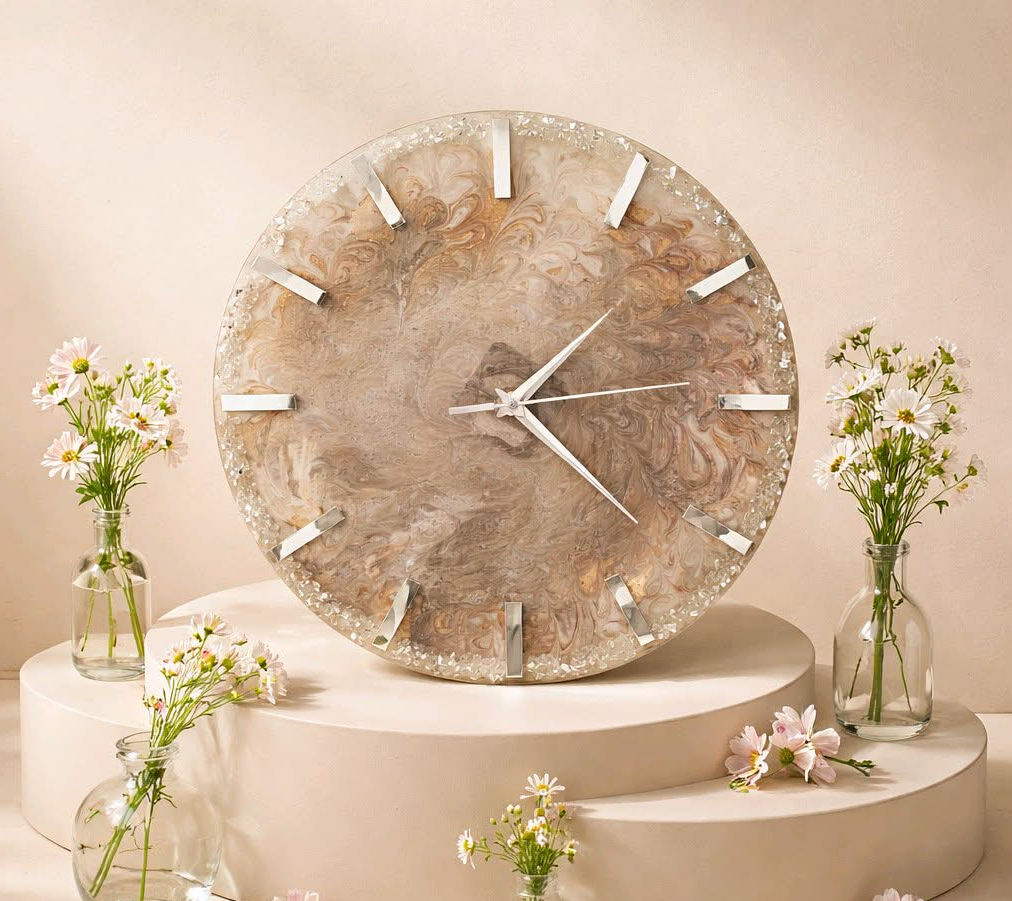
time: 1:22
